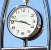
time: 3:46
